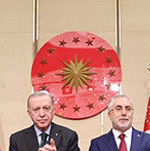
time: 4:13
